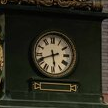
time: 5:41
